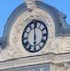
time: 5:59
